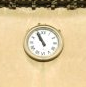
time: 10:55
